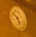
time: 4:50
